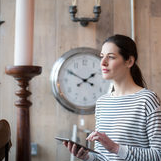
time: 1:50
